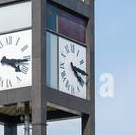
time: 4:14
